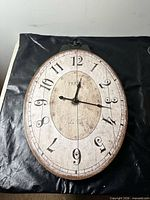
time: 12:16
